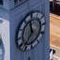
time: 11:36
